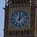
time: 12:07
